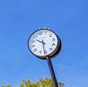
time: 10:31
